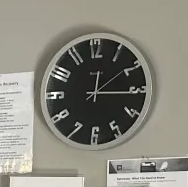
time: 12:15
